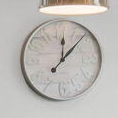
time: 12:07
